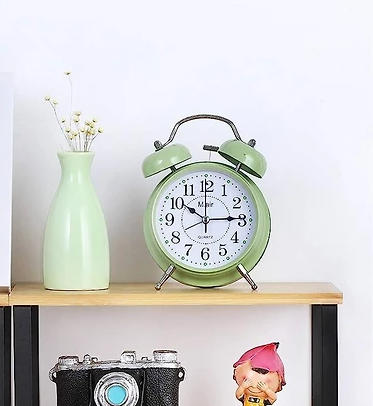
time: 10:14
